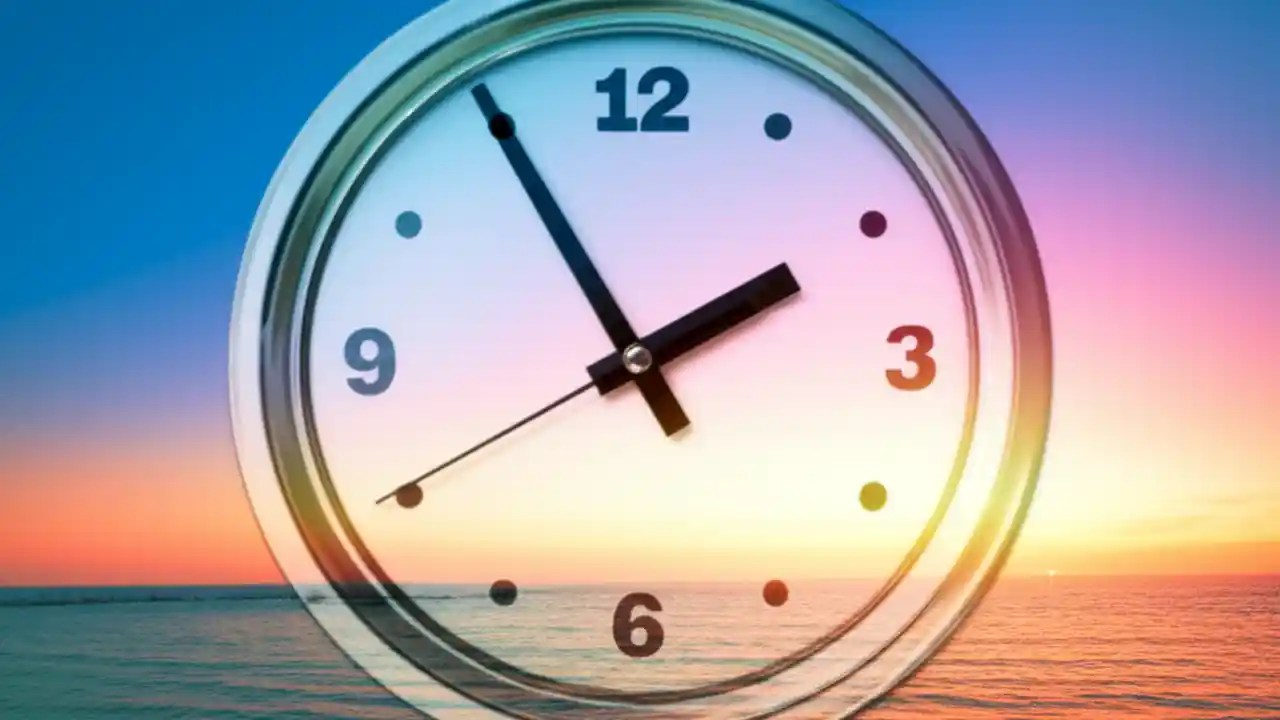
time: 1:54
